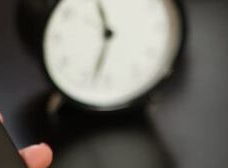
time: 11:32
